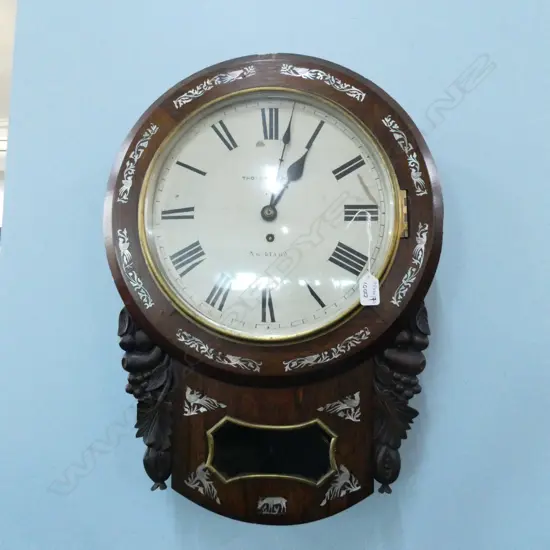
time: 1:02
